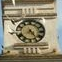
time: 7:24
